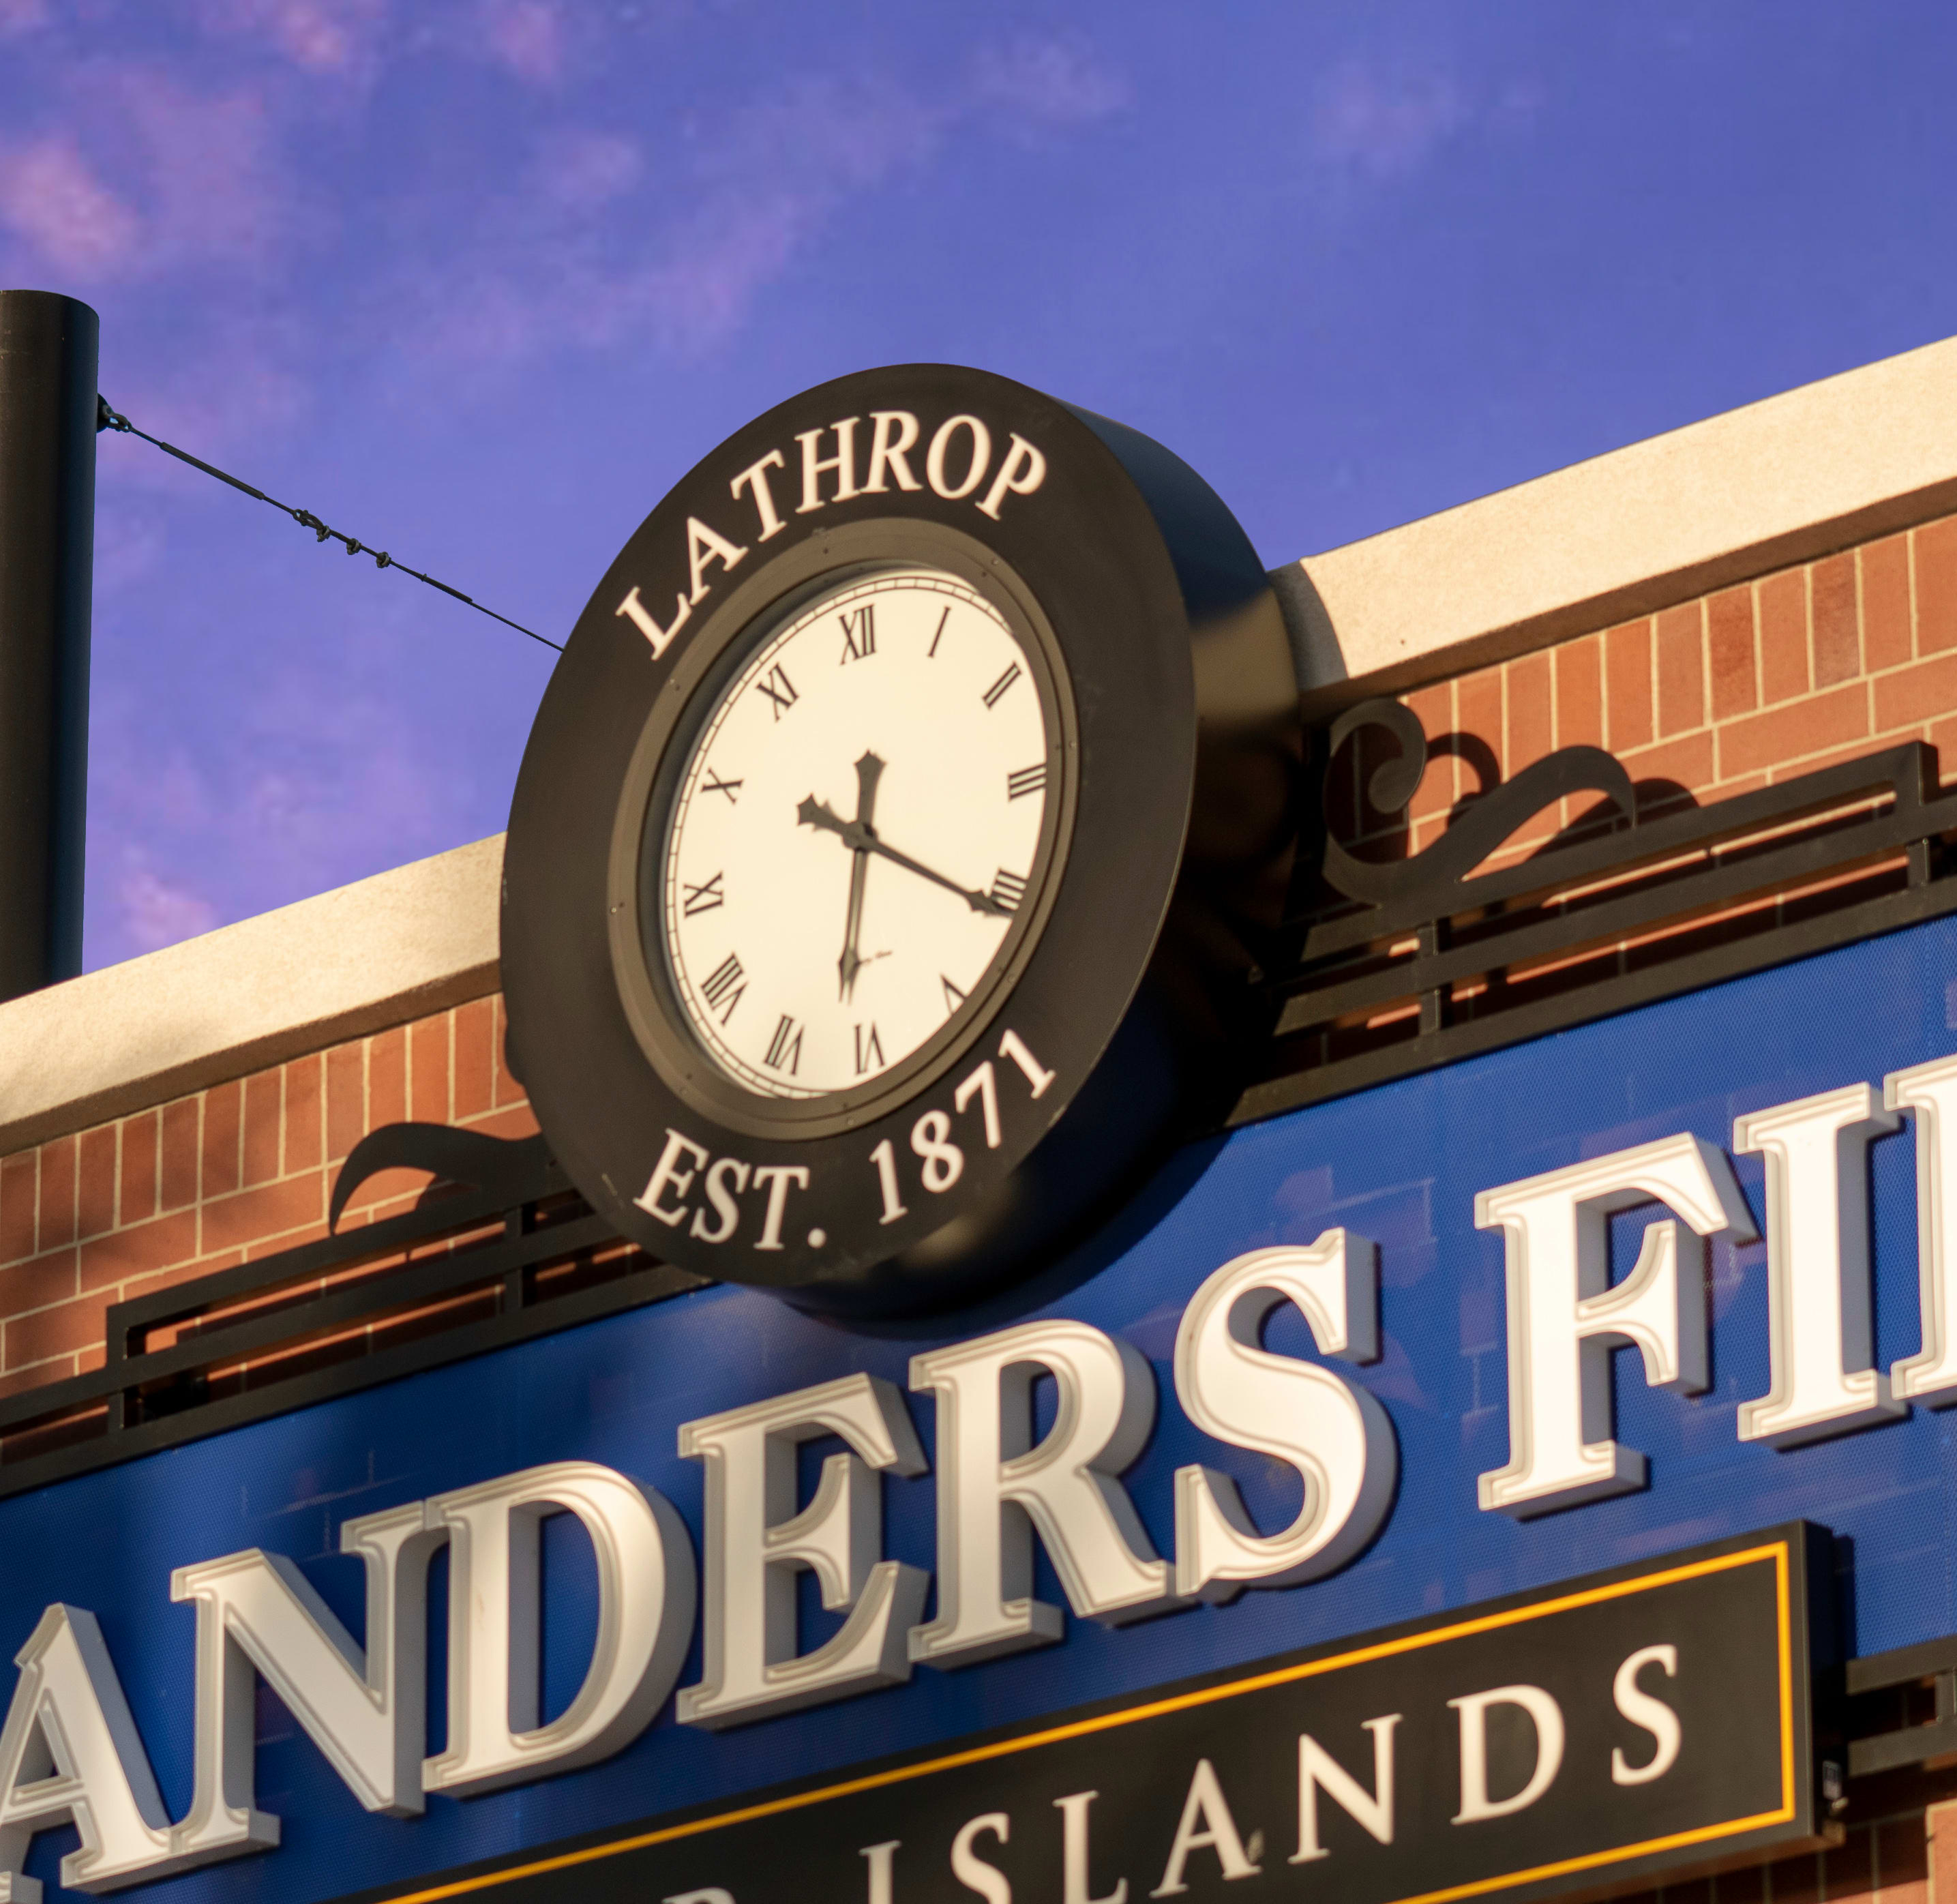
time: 6:20
